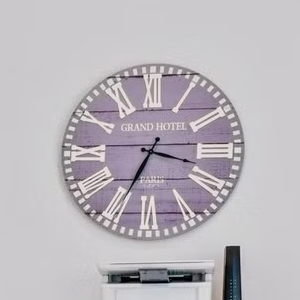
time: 3:34
